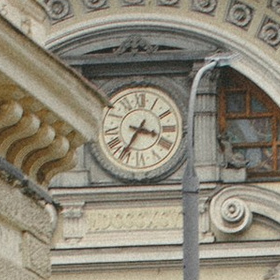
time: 3:35
